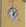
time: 12:07
